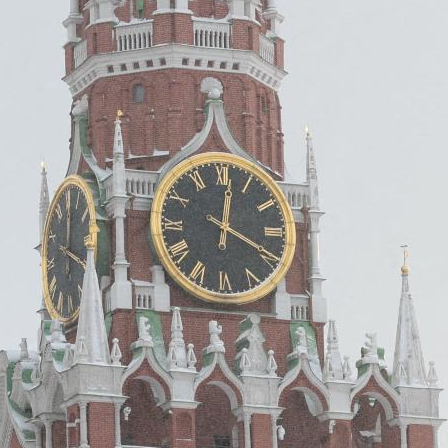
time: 12:19
